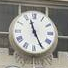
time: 11:25
